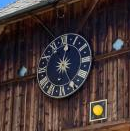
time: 12:25
